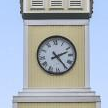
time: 2:24
